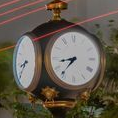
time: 8:36
